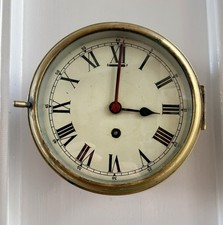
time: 3:00
